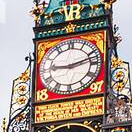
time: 9:12
